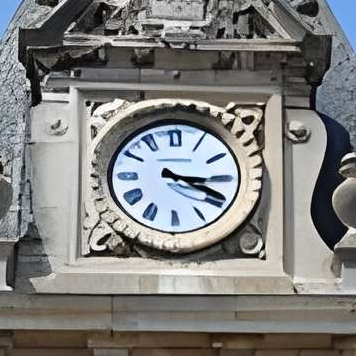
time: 3:19
